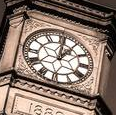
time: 12:05
